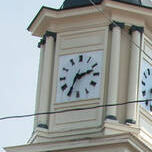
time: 2:34
